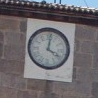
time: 4:01
